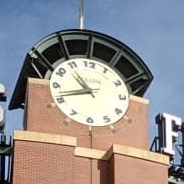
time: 10:41
